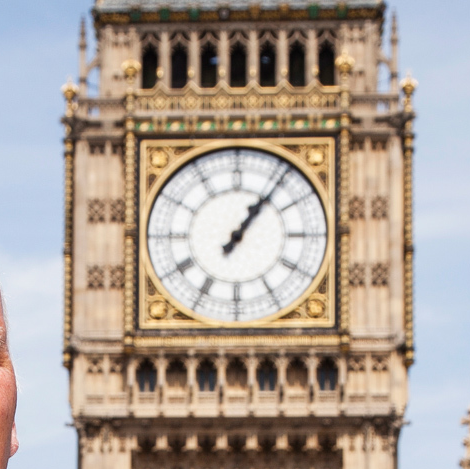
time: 1:06
